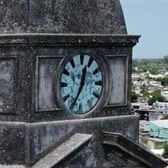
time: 12:34
